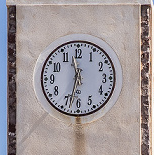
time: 11:32
